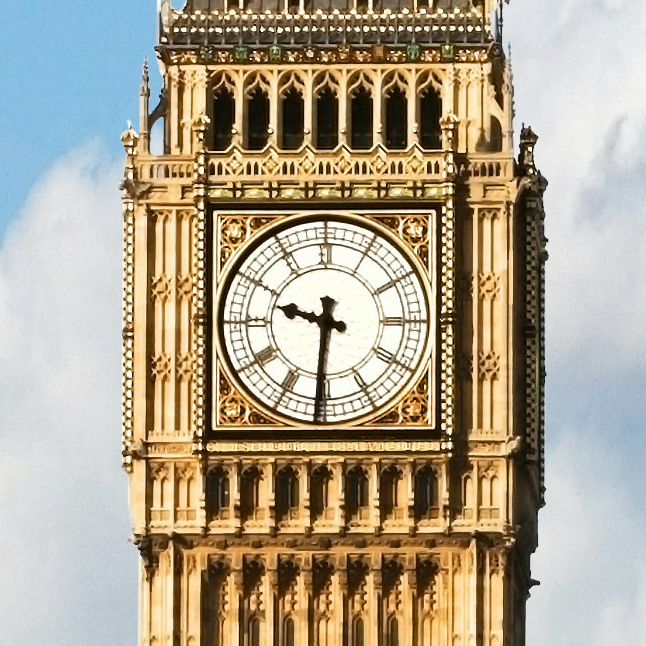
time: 9:31
